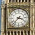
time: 3:37
